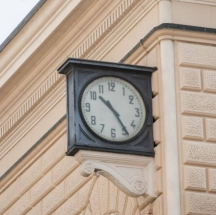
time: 10:24
